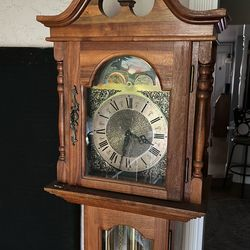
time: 3:32
